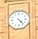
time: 4:23
